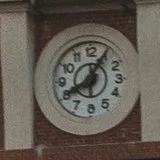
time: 8:05
